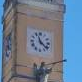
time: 11:21
